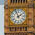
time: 1:56
